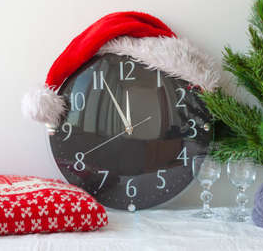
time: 11:55
